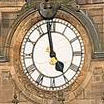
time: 4:58
